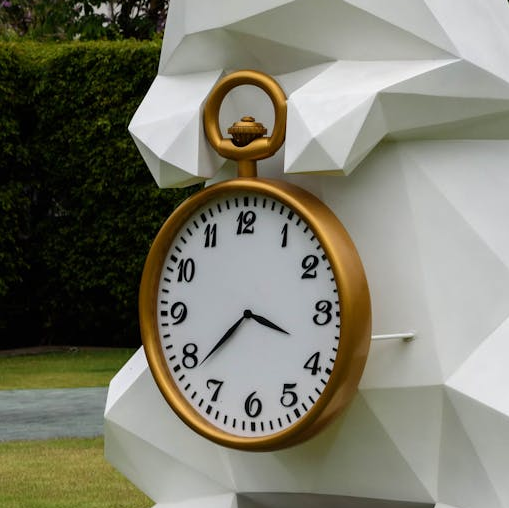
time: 3:38
